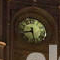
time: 8:27
